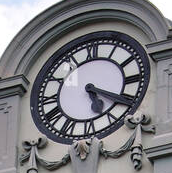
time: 5:19
